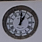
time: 1:01
